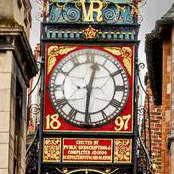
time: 12:30
